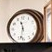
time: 11:32
